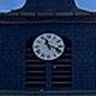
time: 11:18
